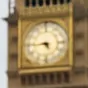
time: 4:44
